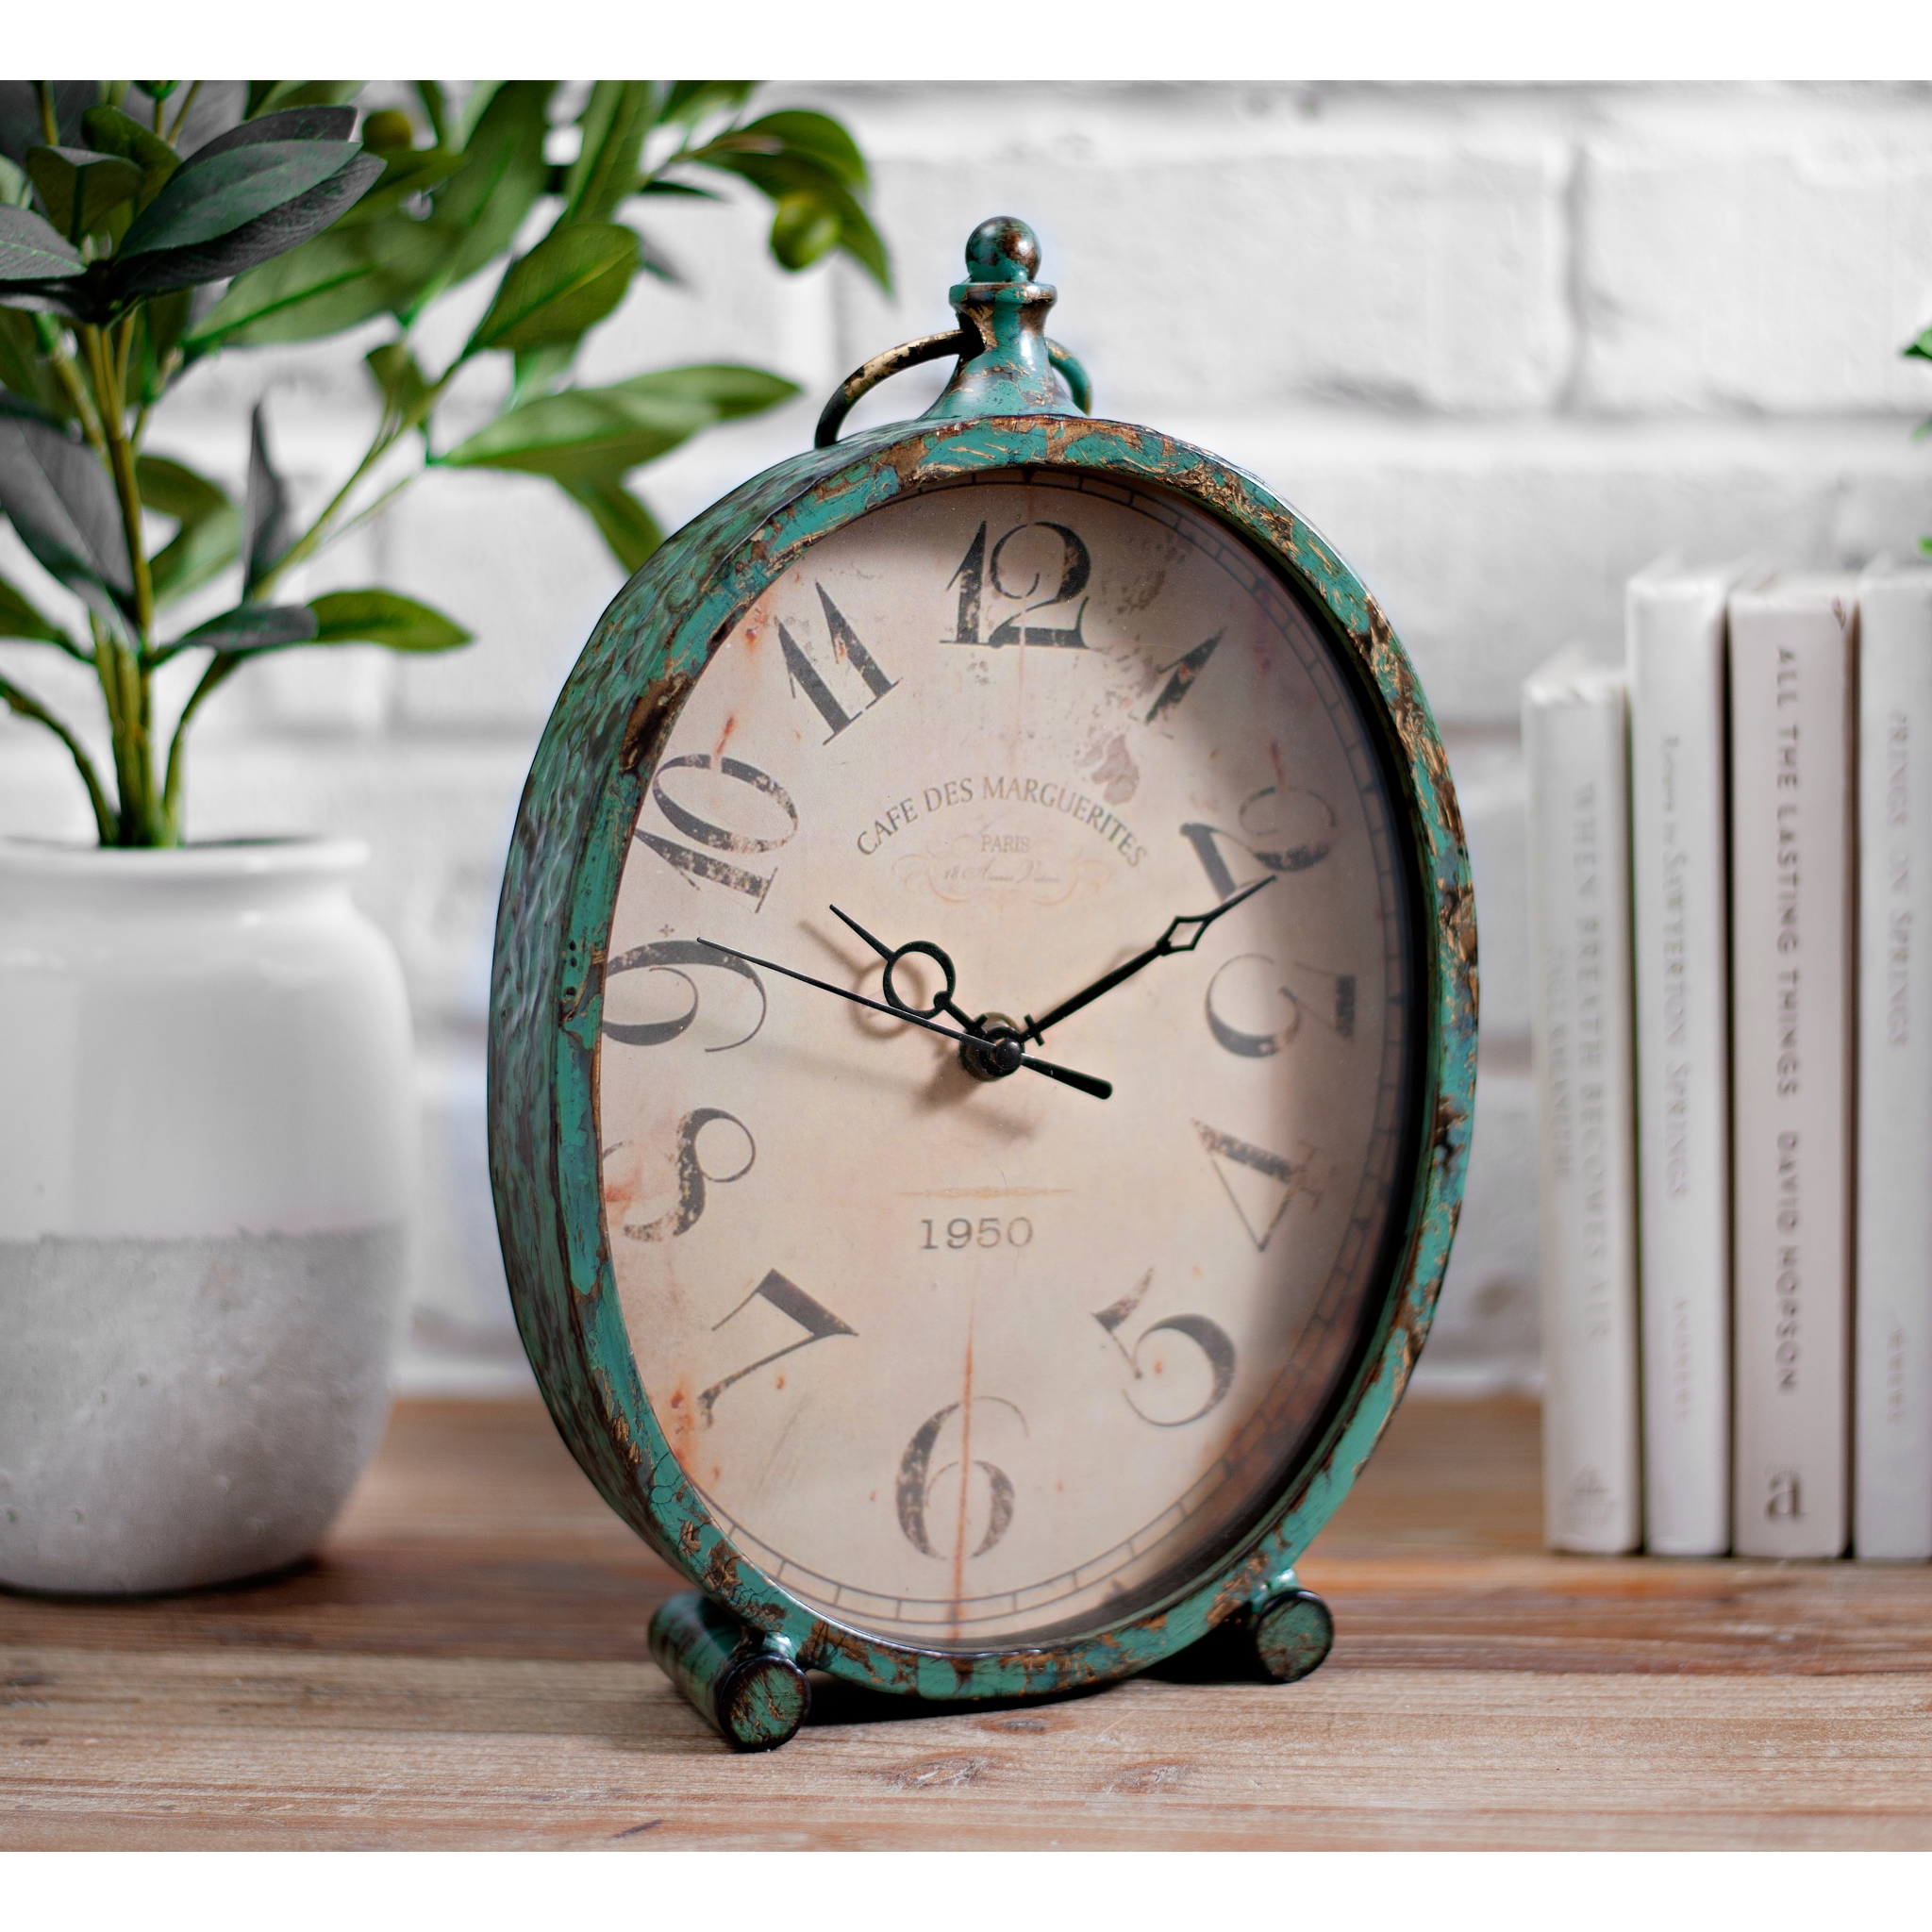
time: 9:10
